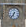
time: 6:36
